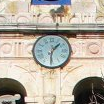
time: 1:30
